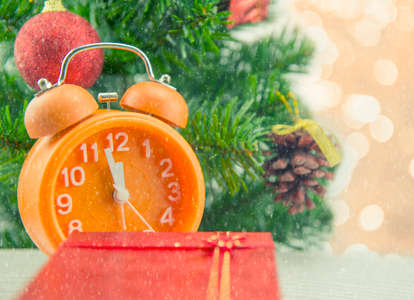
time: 11:57
